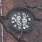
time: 12:28
